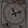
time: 11:12
